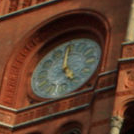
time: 4:59
